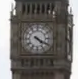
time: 4:19
